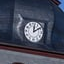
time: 12:09
